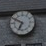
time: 6:49
